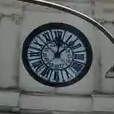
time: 12:07
